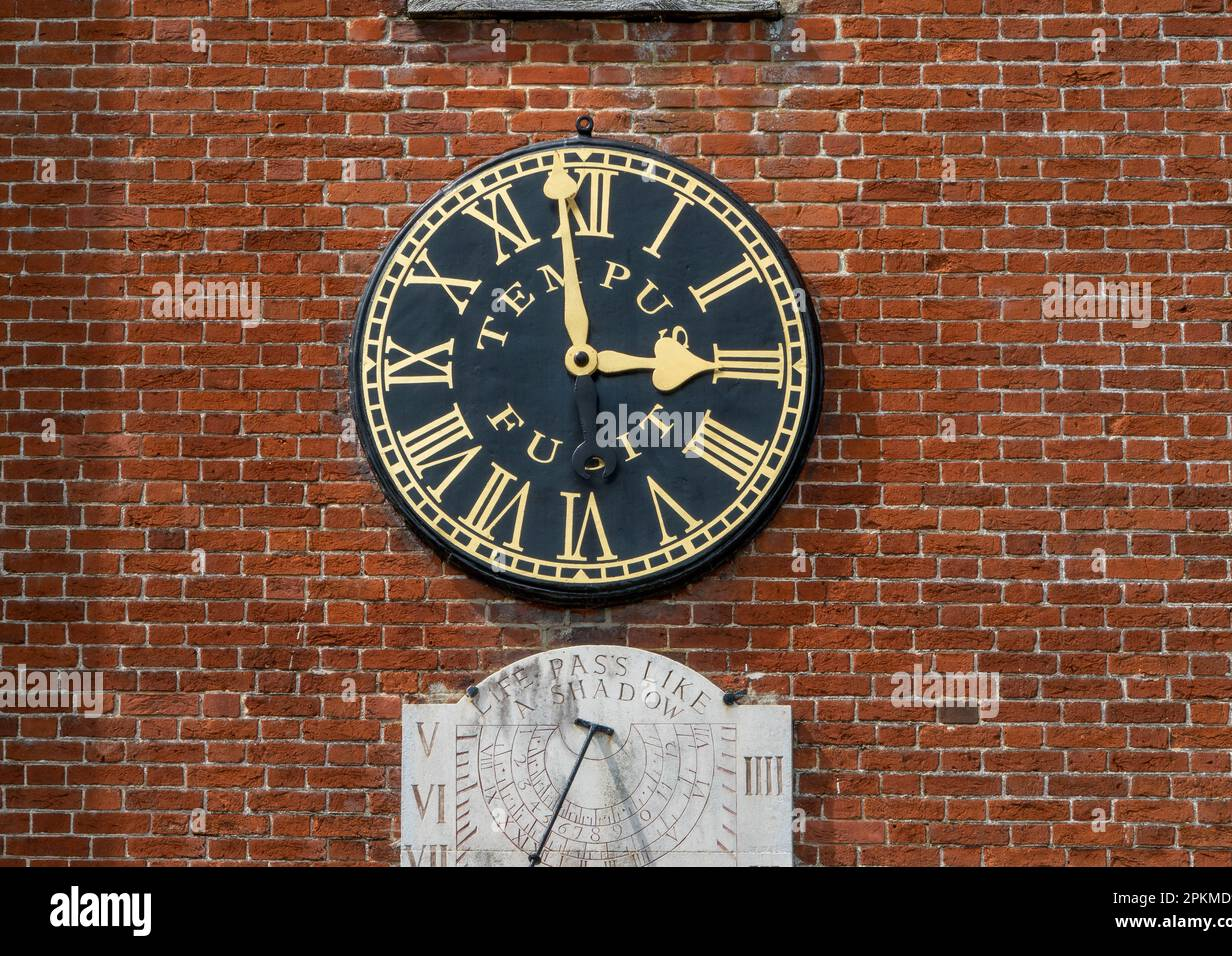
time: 2:58
